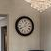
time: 12:41
